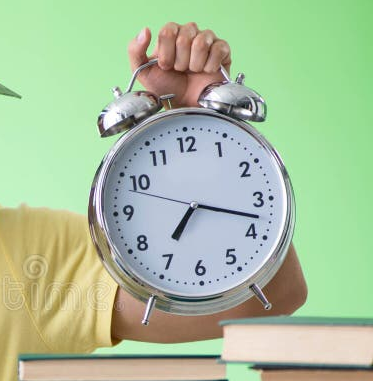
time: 7:17
